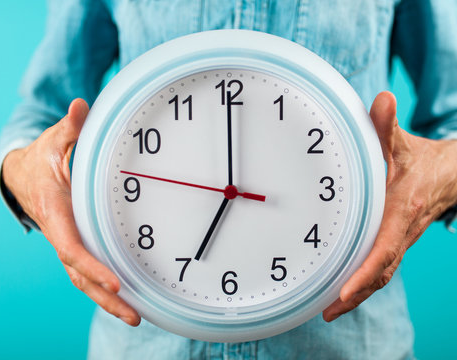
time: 6:59
